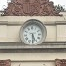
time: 5:30
